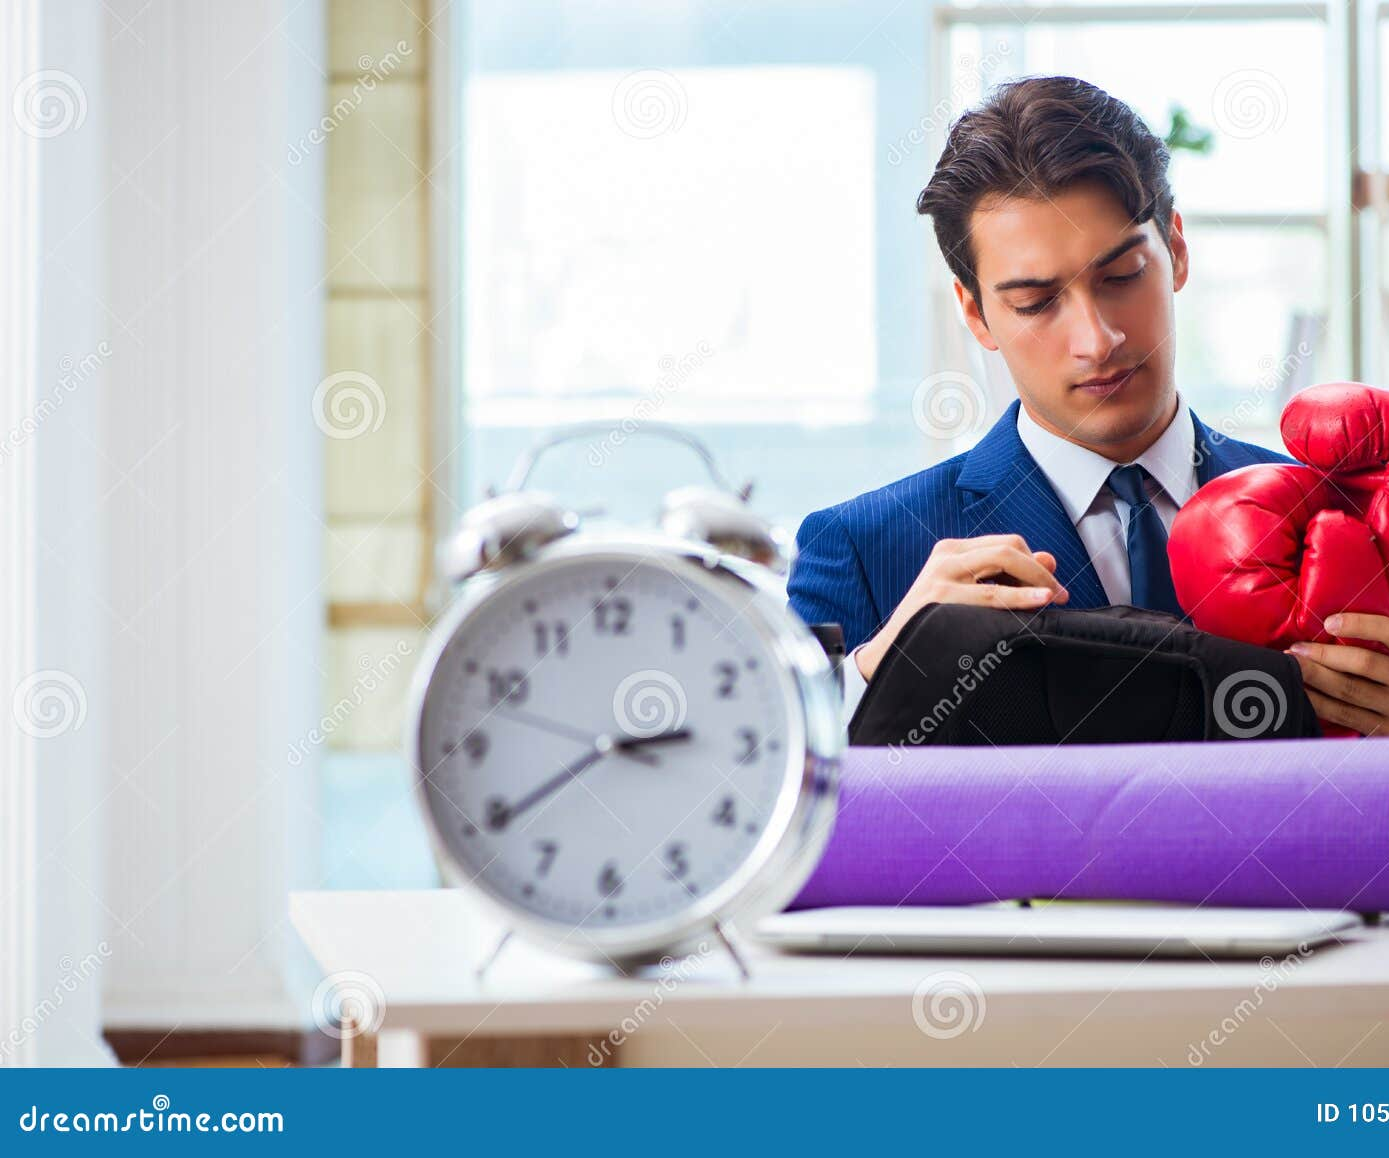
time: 2:39
